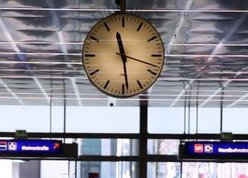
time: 11:28
